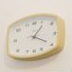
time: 1:19
